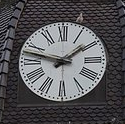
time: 1:47
